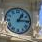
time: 1:14
